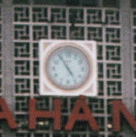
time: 4:54
